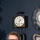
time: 1:32
